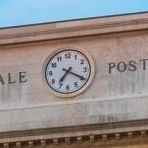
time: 7:19
